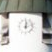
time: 12:12
